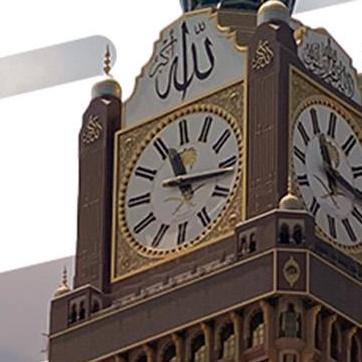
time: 11:16
